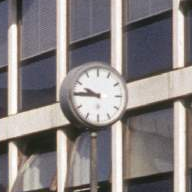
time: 9:45
